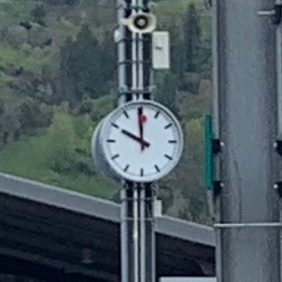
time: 9:59
